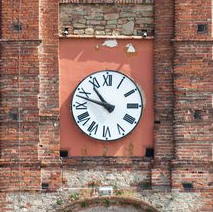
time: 10:47
